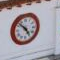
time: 4:52
